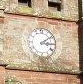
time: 3:09
